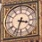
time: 3:33
